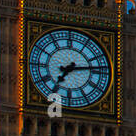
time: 7:13
